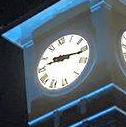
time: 9:16
